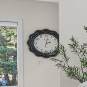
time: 2:01
